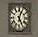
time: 5:03
